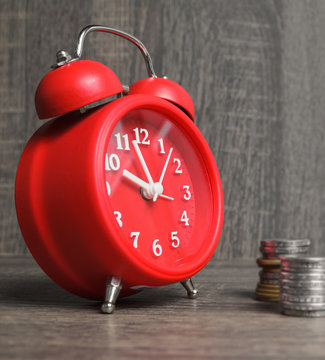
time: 9:57
